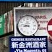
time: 8:47
